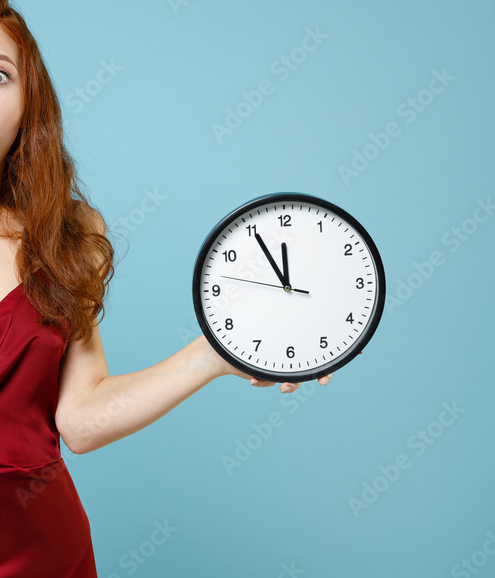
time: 11:55
